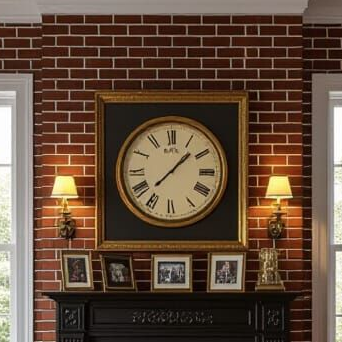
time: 1:37
